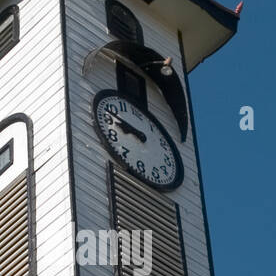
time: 8:48
